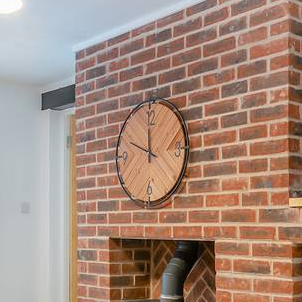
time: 11:48
